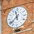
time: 11:37
